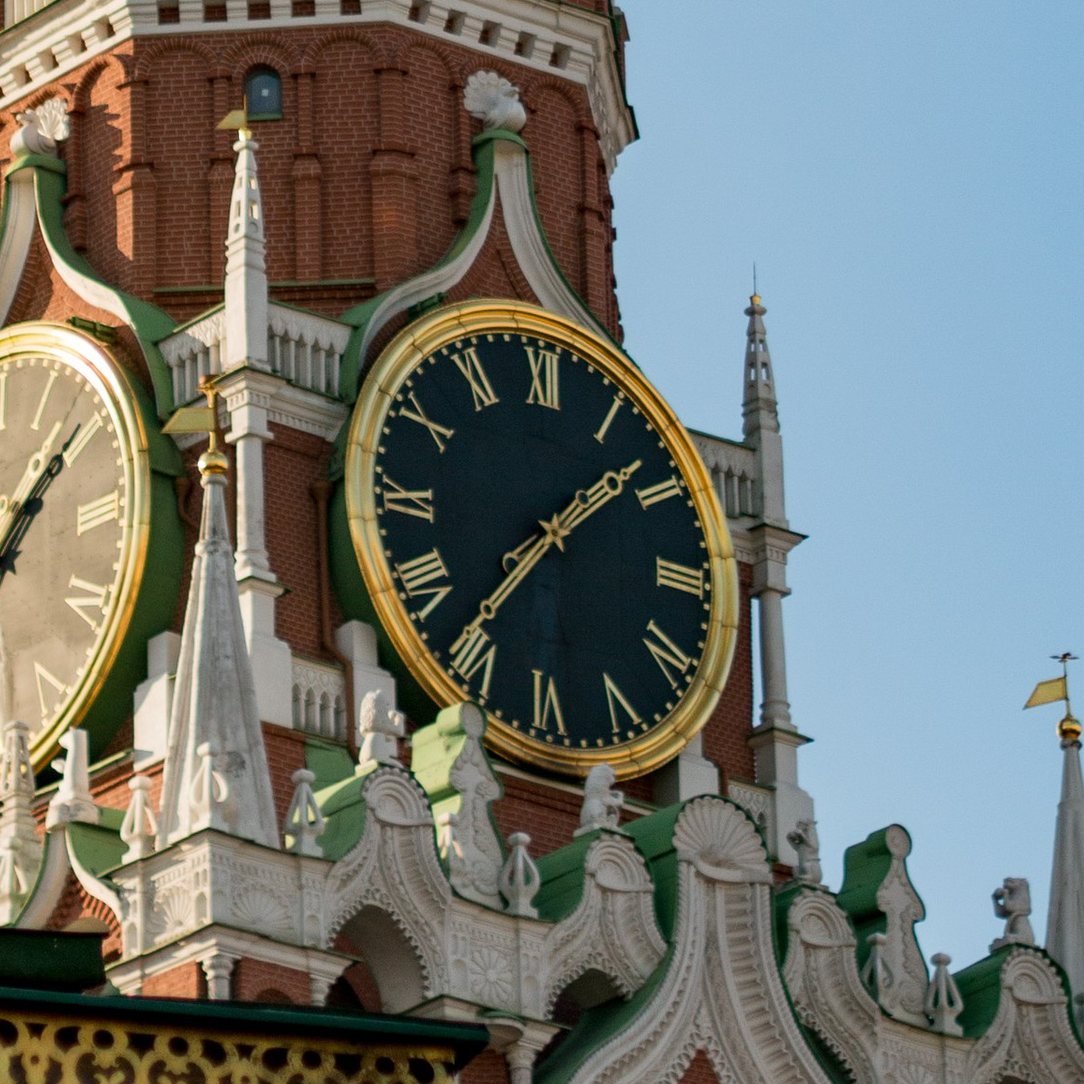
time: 1:36
